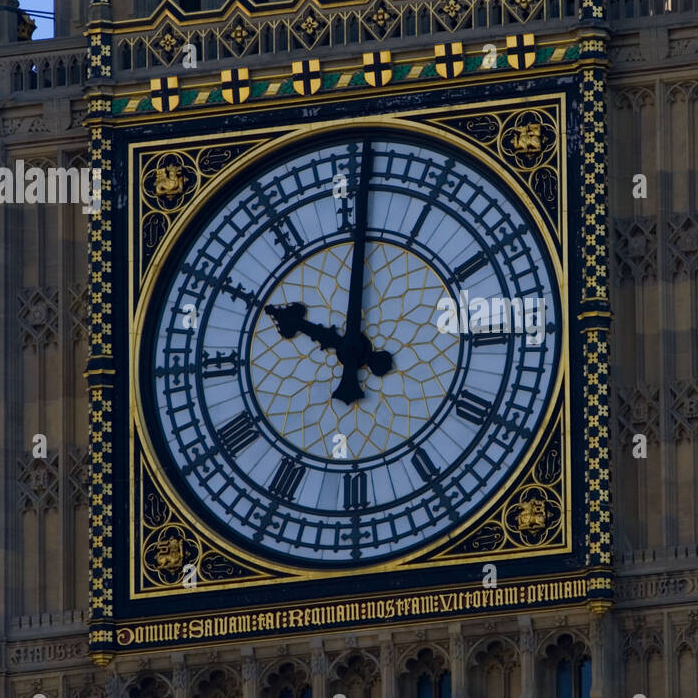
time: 10:00
